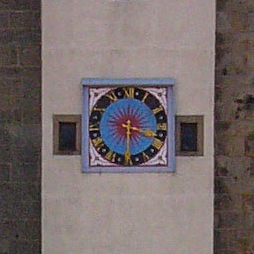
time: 3:30
